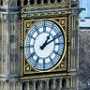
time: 1:11
